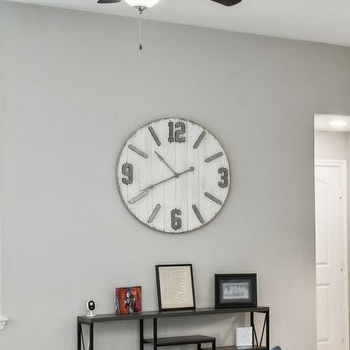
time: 10:40
